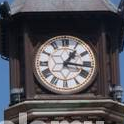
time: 1:16
